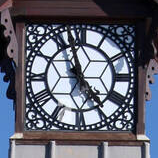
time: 4:57
